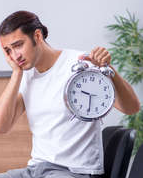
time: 9:29
